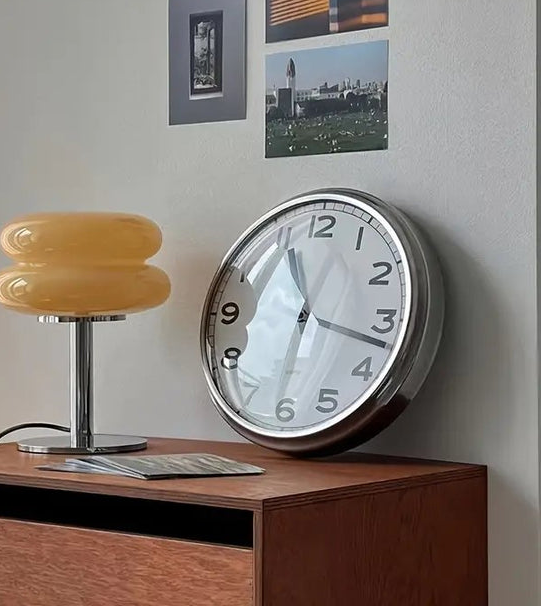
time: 6:17
